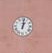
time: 1:01
